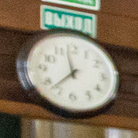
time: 11:37
